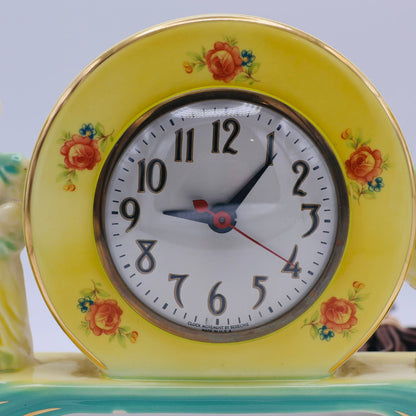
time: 9:06
